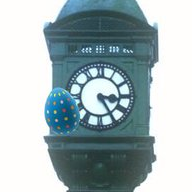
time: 3:24
